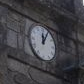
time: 12:05
